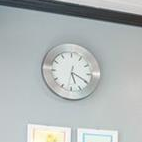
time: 5:19
